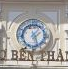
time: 1:26
